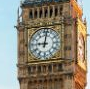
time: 9:01
